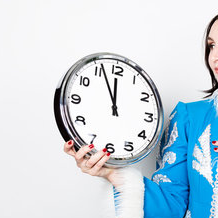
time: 11:56
